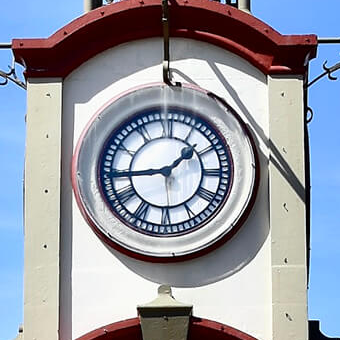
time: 1:44
